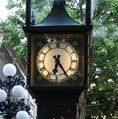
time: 6:24
